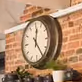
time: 12:23
